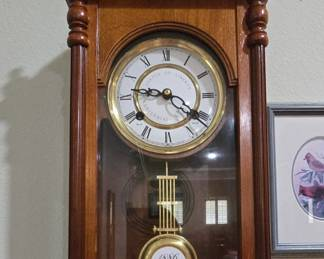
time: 9:20
